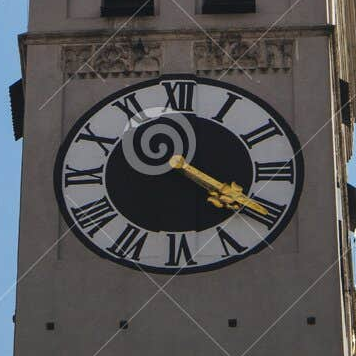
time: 4:20
